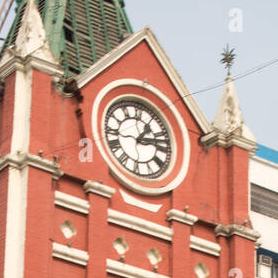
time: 1:12
